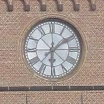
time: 6:08
